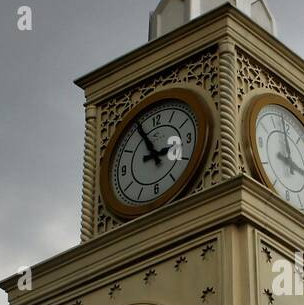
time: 2:55
